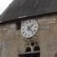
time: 1:22
